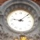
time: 9:07
